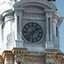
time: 1:37
